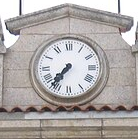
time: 7:36
